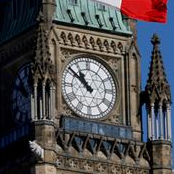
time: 10:51
